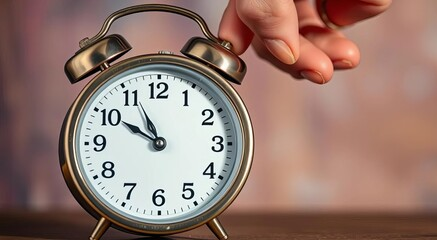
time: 10:50
